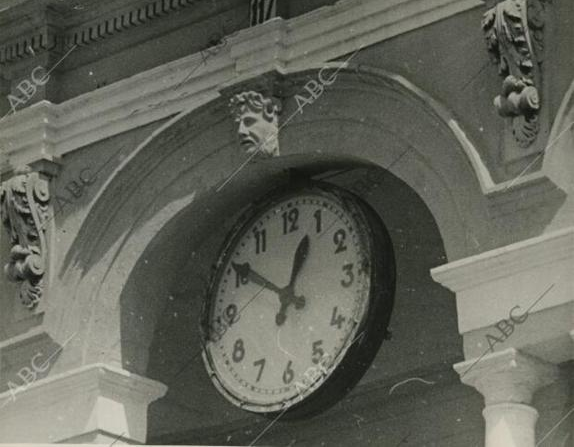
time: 12:50
